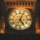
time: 5:03
